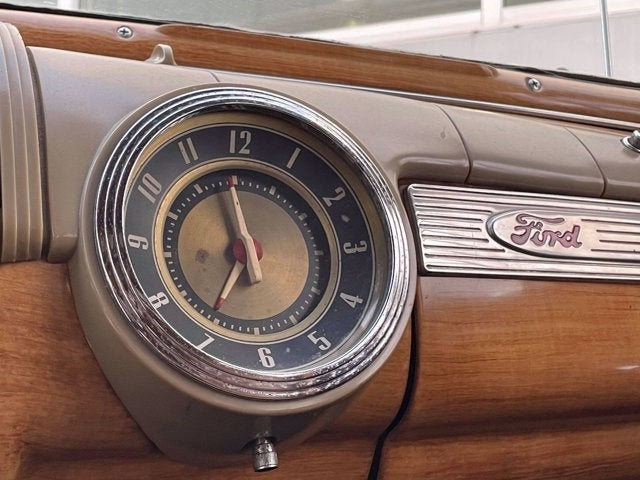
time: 6:58
